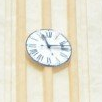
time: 11:13
